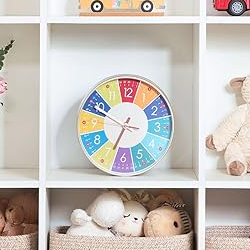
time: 6:48
